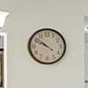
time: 9:51
